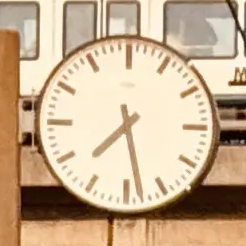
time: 7:28
